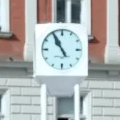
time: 10:55
